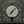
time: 7:08
